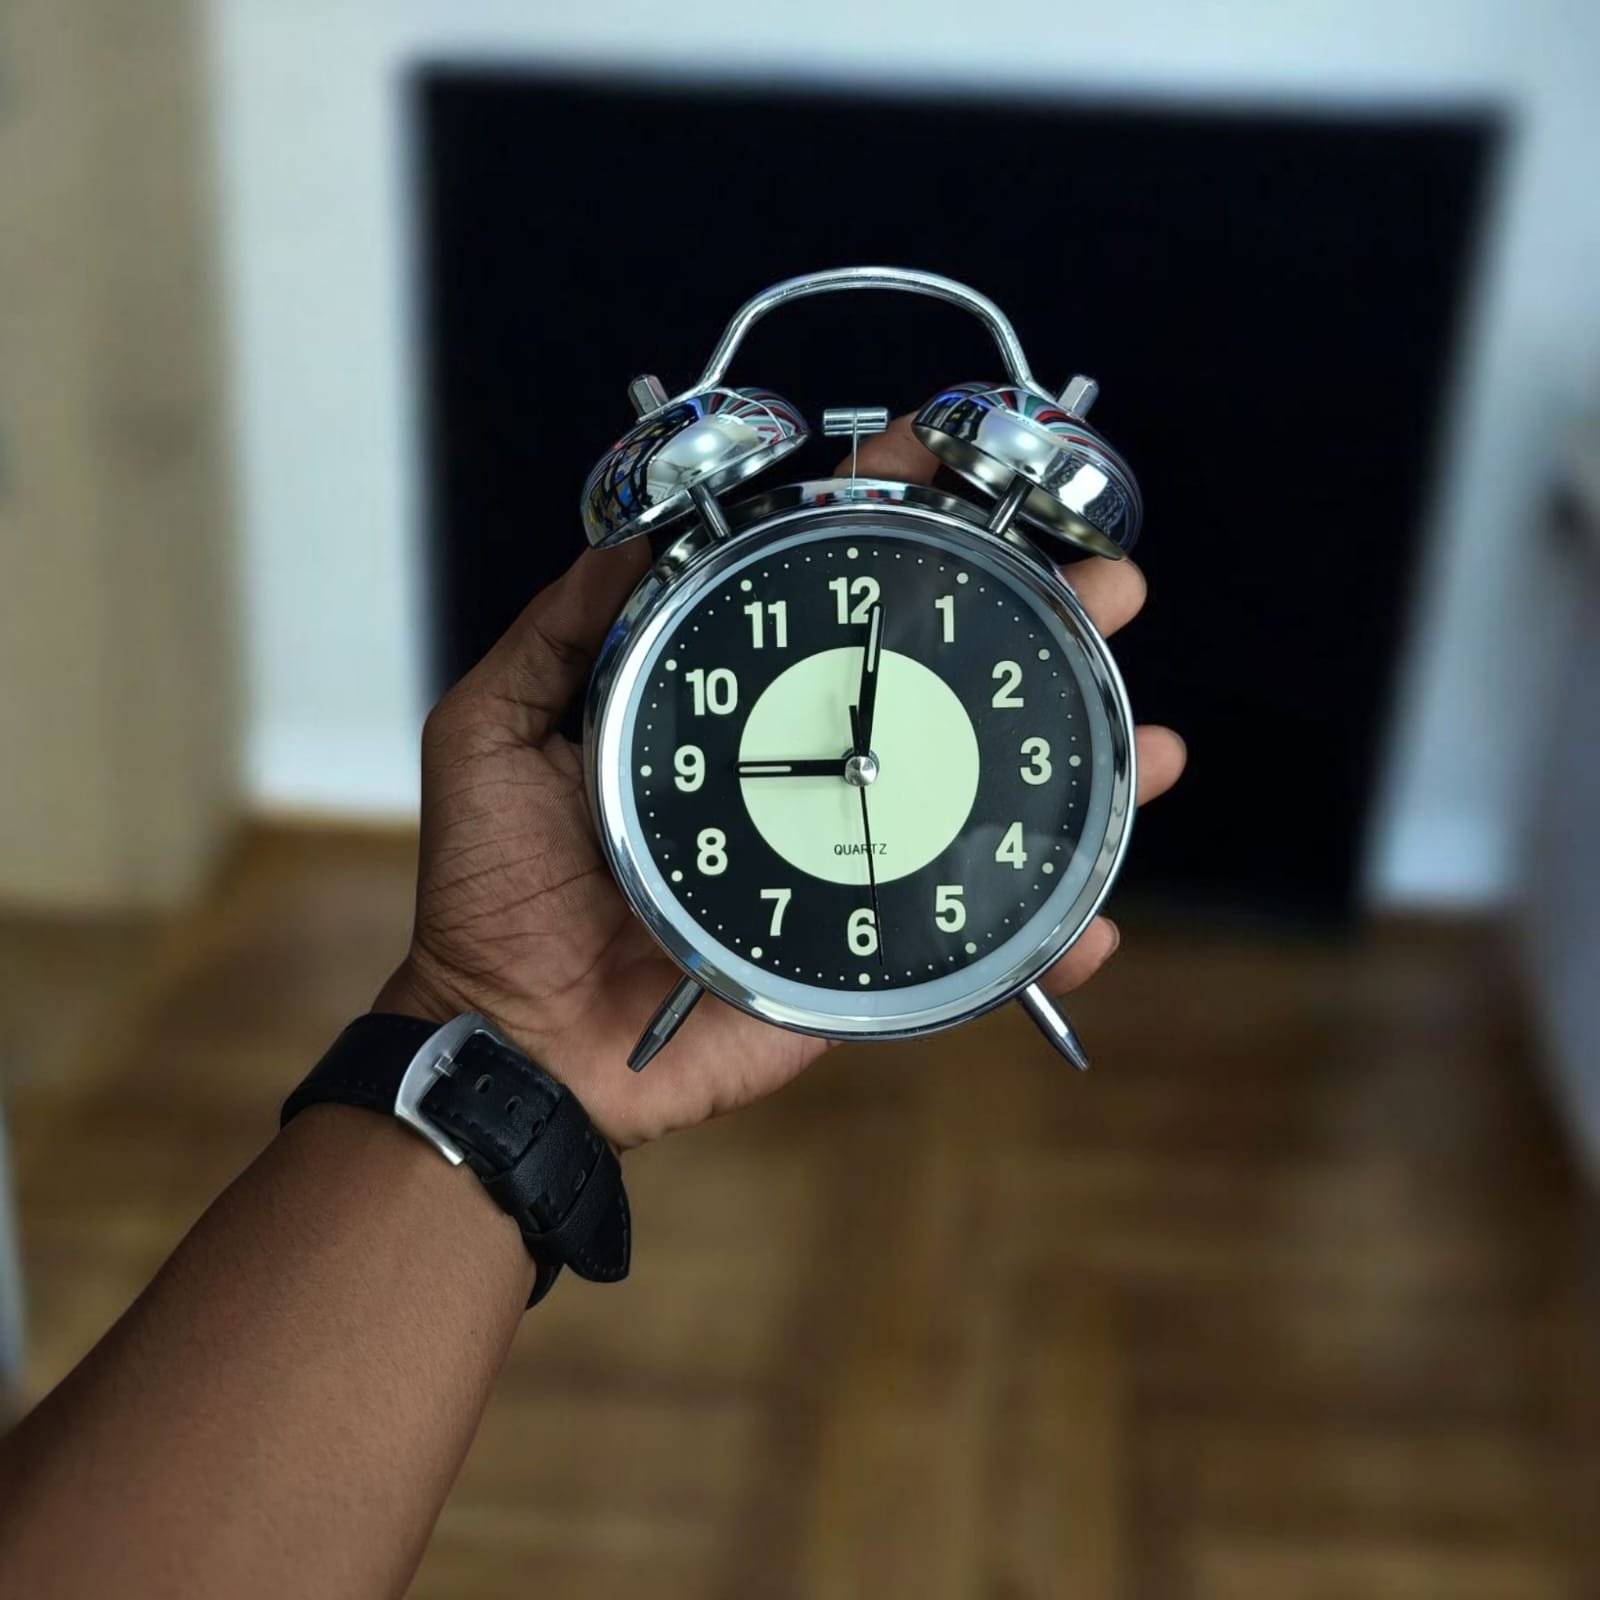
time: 9:01
